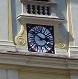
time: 2:50
